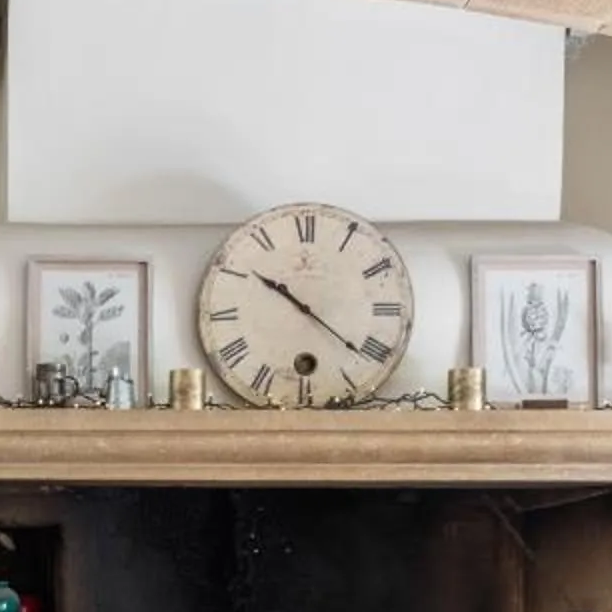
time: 10:21
